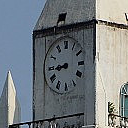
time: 8:44
